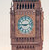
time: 9:12
